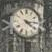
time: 4:14
